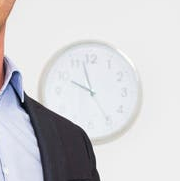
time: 9:57
